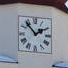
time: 1:53
